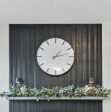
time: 1:12
